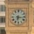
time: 6:15
